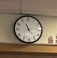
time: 11:23
